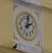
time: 2:01
